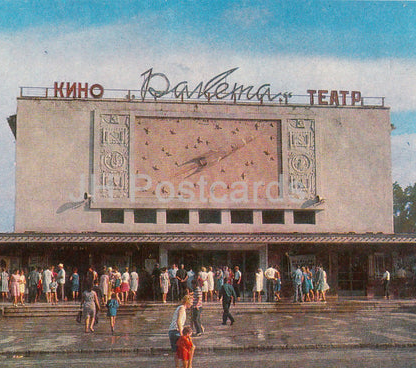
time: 8:09
